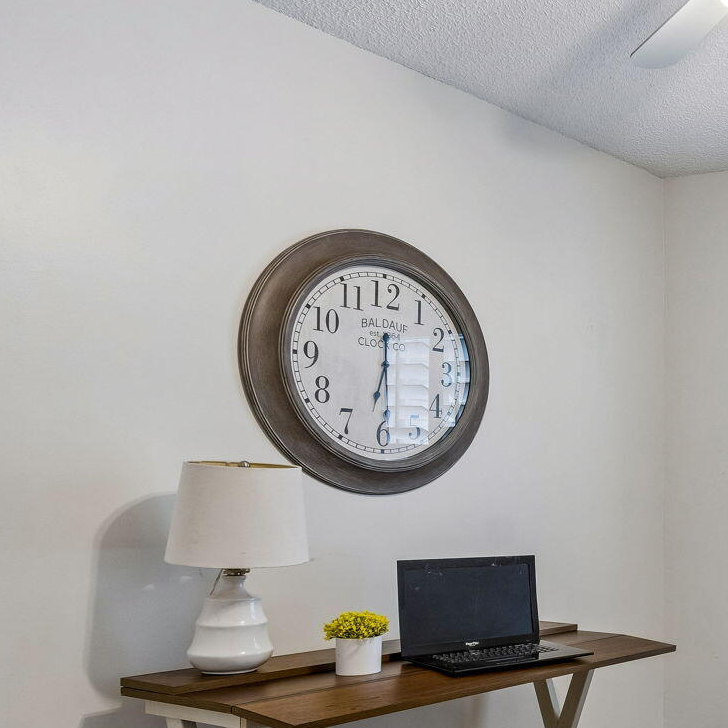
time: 6:29
